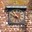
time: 4:49
